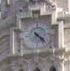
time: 4:22
